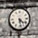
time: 4:28
